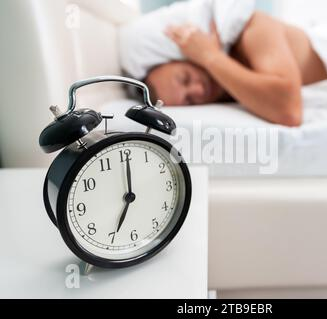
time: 7:00
